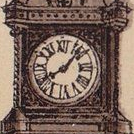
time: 8:07
